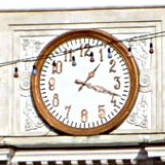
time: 1:18
